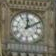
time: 12:10
